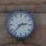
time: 2:37
